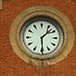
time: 1:29
